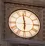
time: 5:58
